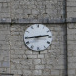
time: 2:44
